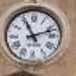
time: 11:12
